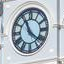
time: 11:21
